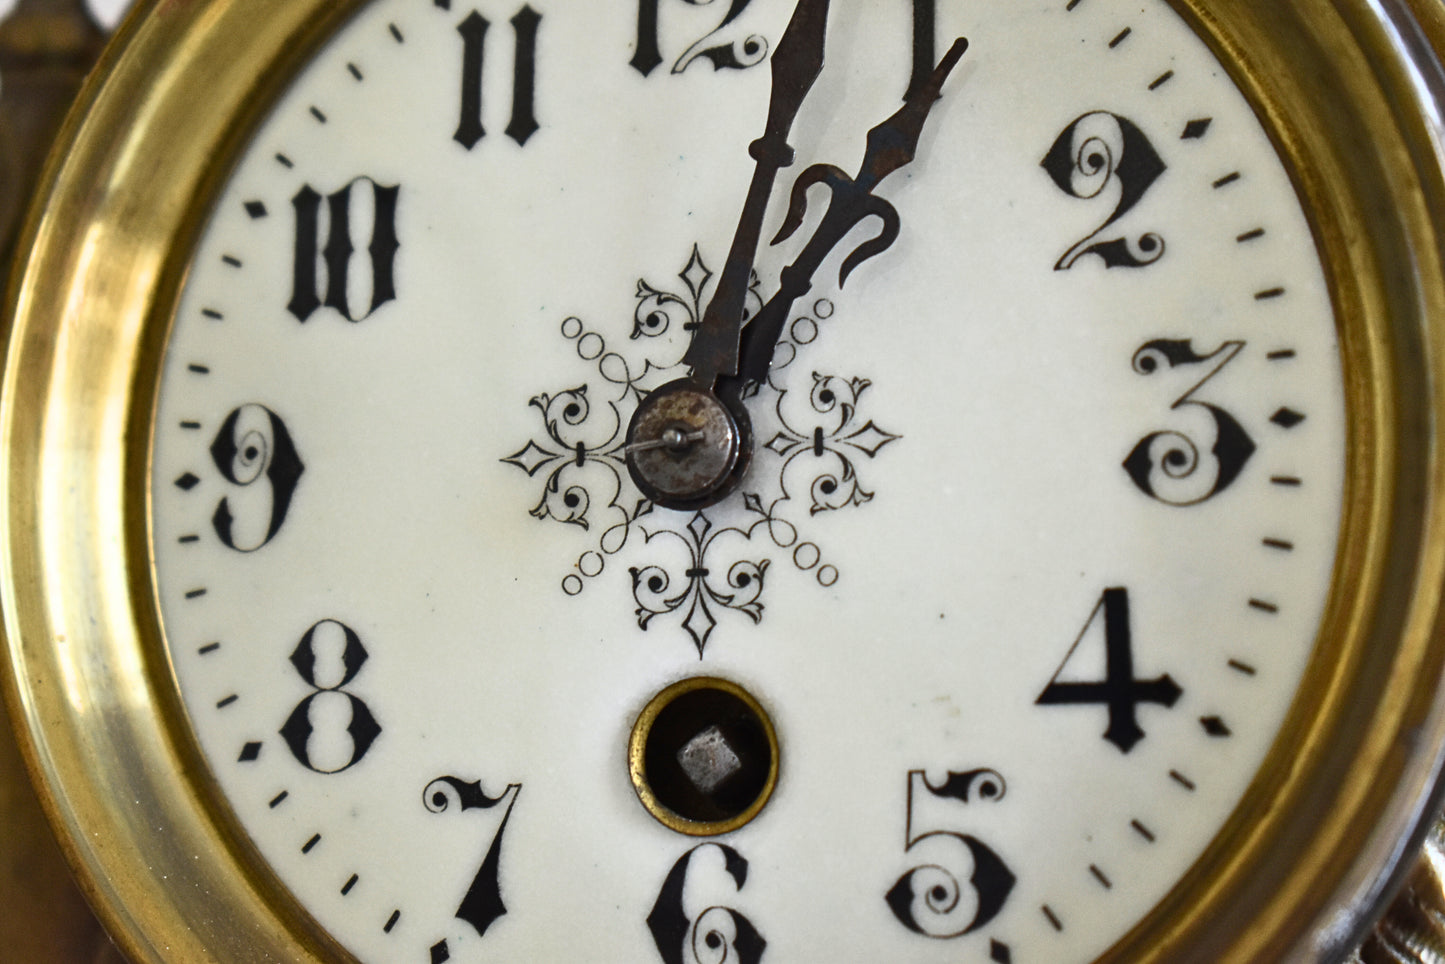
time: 1:02
